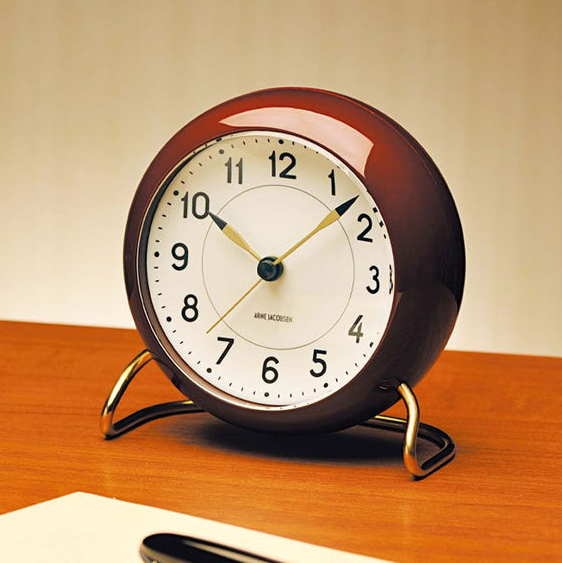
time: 10:07
